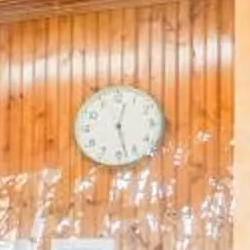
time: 12:27
